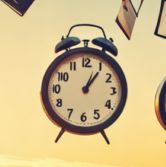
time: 1:06
